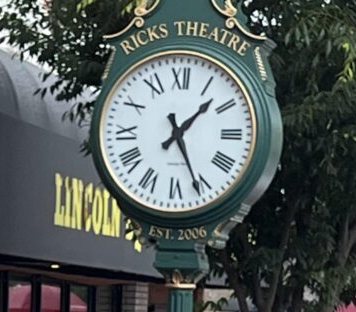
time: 1:26
